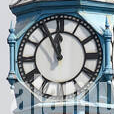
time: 11:55
